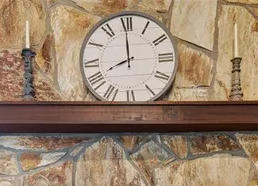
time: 7:59
